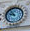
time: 9:53
